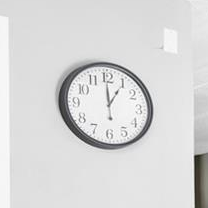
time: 12:59
